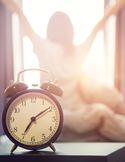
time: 7:09
